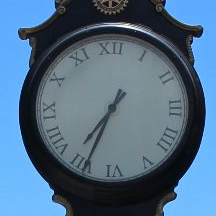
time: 7:34
